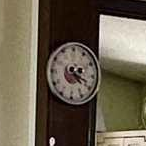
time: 4:18
